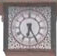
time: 6:25
